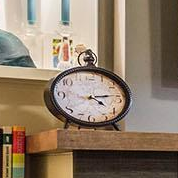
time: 4:13
